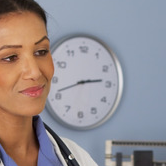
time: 2:41
